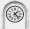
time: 1:23
